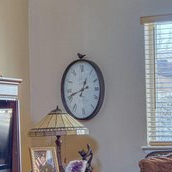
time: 12:41
